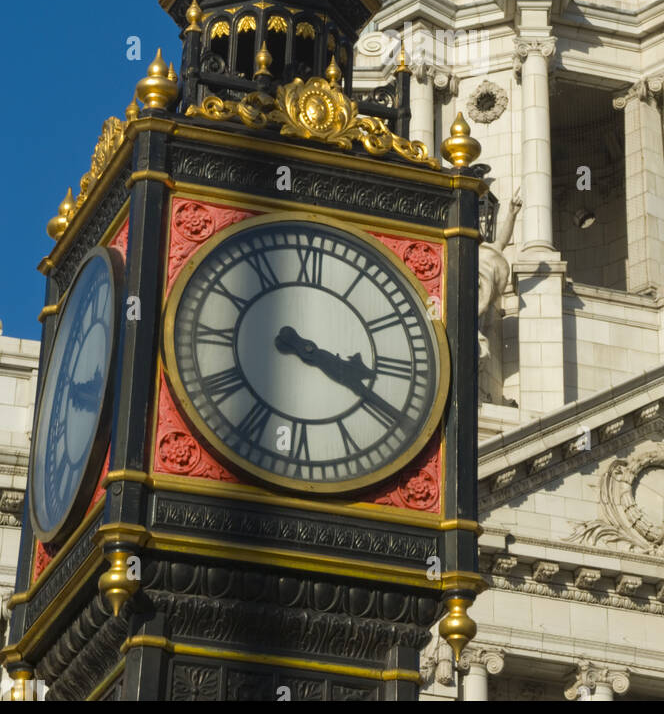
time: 3:19
